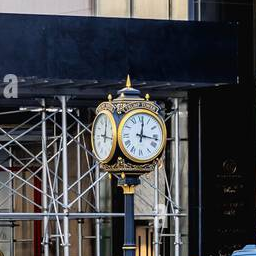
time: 12:16
